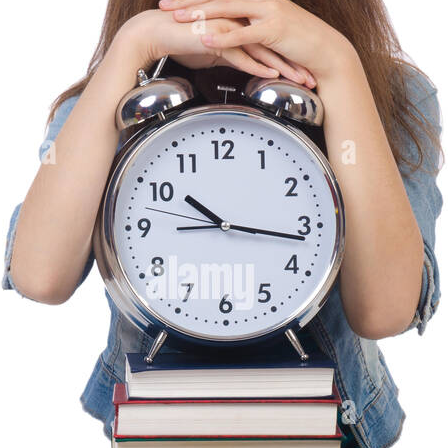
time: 10:16
